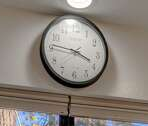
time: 3:46
